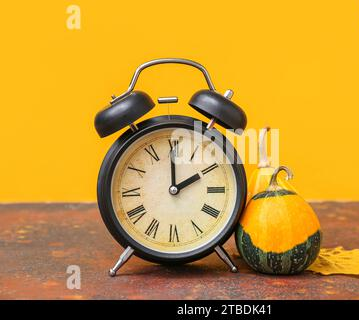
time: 1:59
